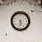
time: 5:31
